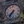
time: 7:36
